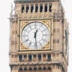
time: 12:28
